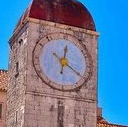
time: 12:20
